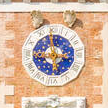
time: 5:59
